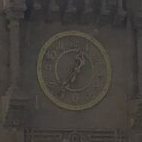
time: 12:36
